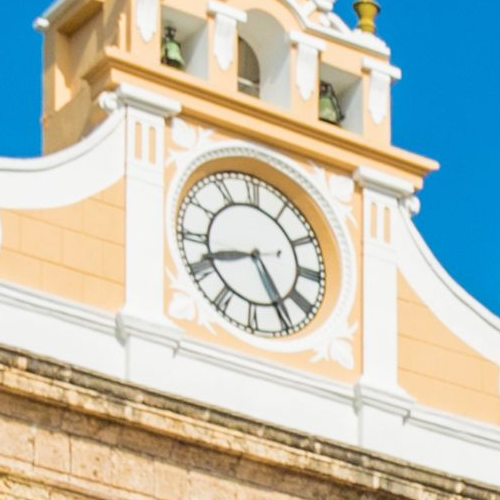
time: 8:24
